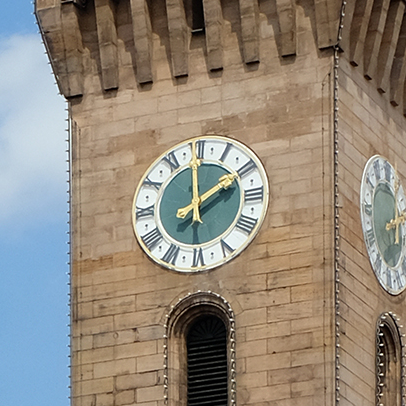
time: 1:59
